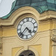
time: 4:37
